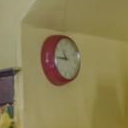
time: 10:45
